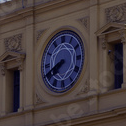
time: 7:41
